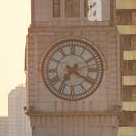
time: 7:20
